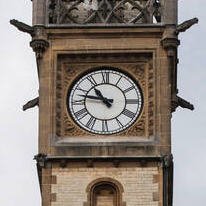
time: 10:47
